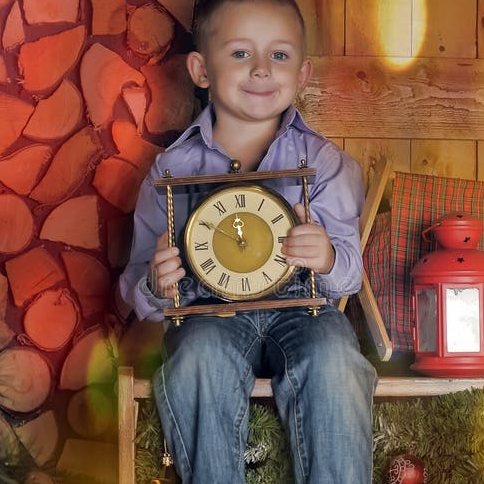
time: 11:49
